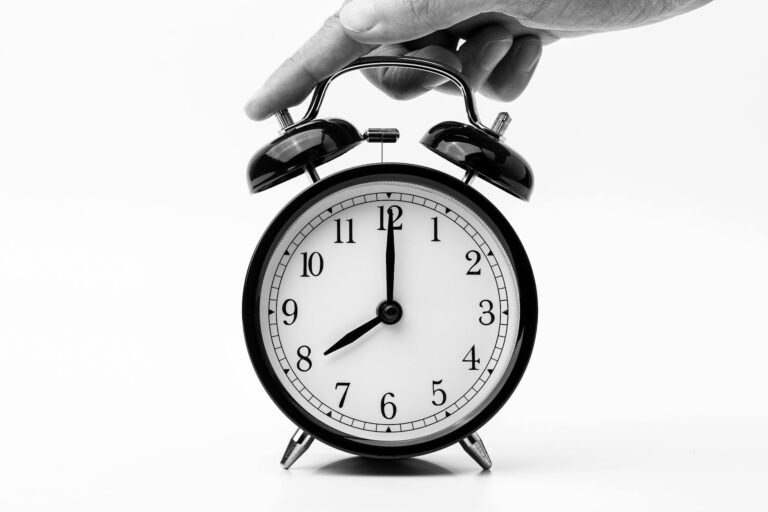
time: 8:00
